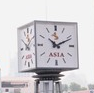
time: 10:11
